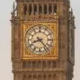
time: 8:23
